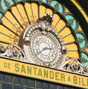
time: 2:38
